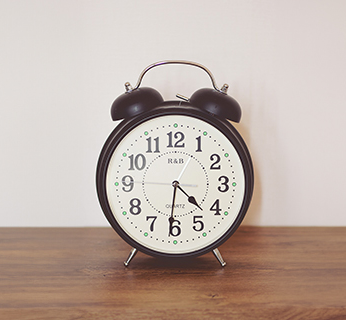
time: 4:31
